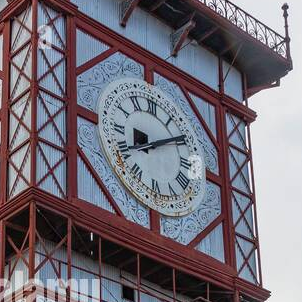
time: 8:09
